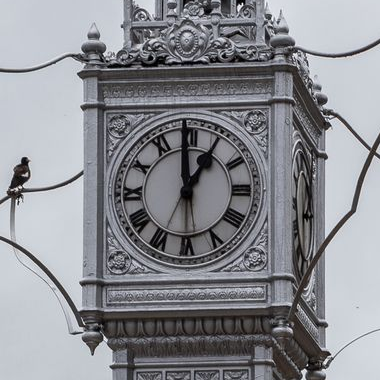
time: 12:59
